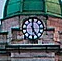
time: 4:59
